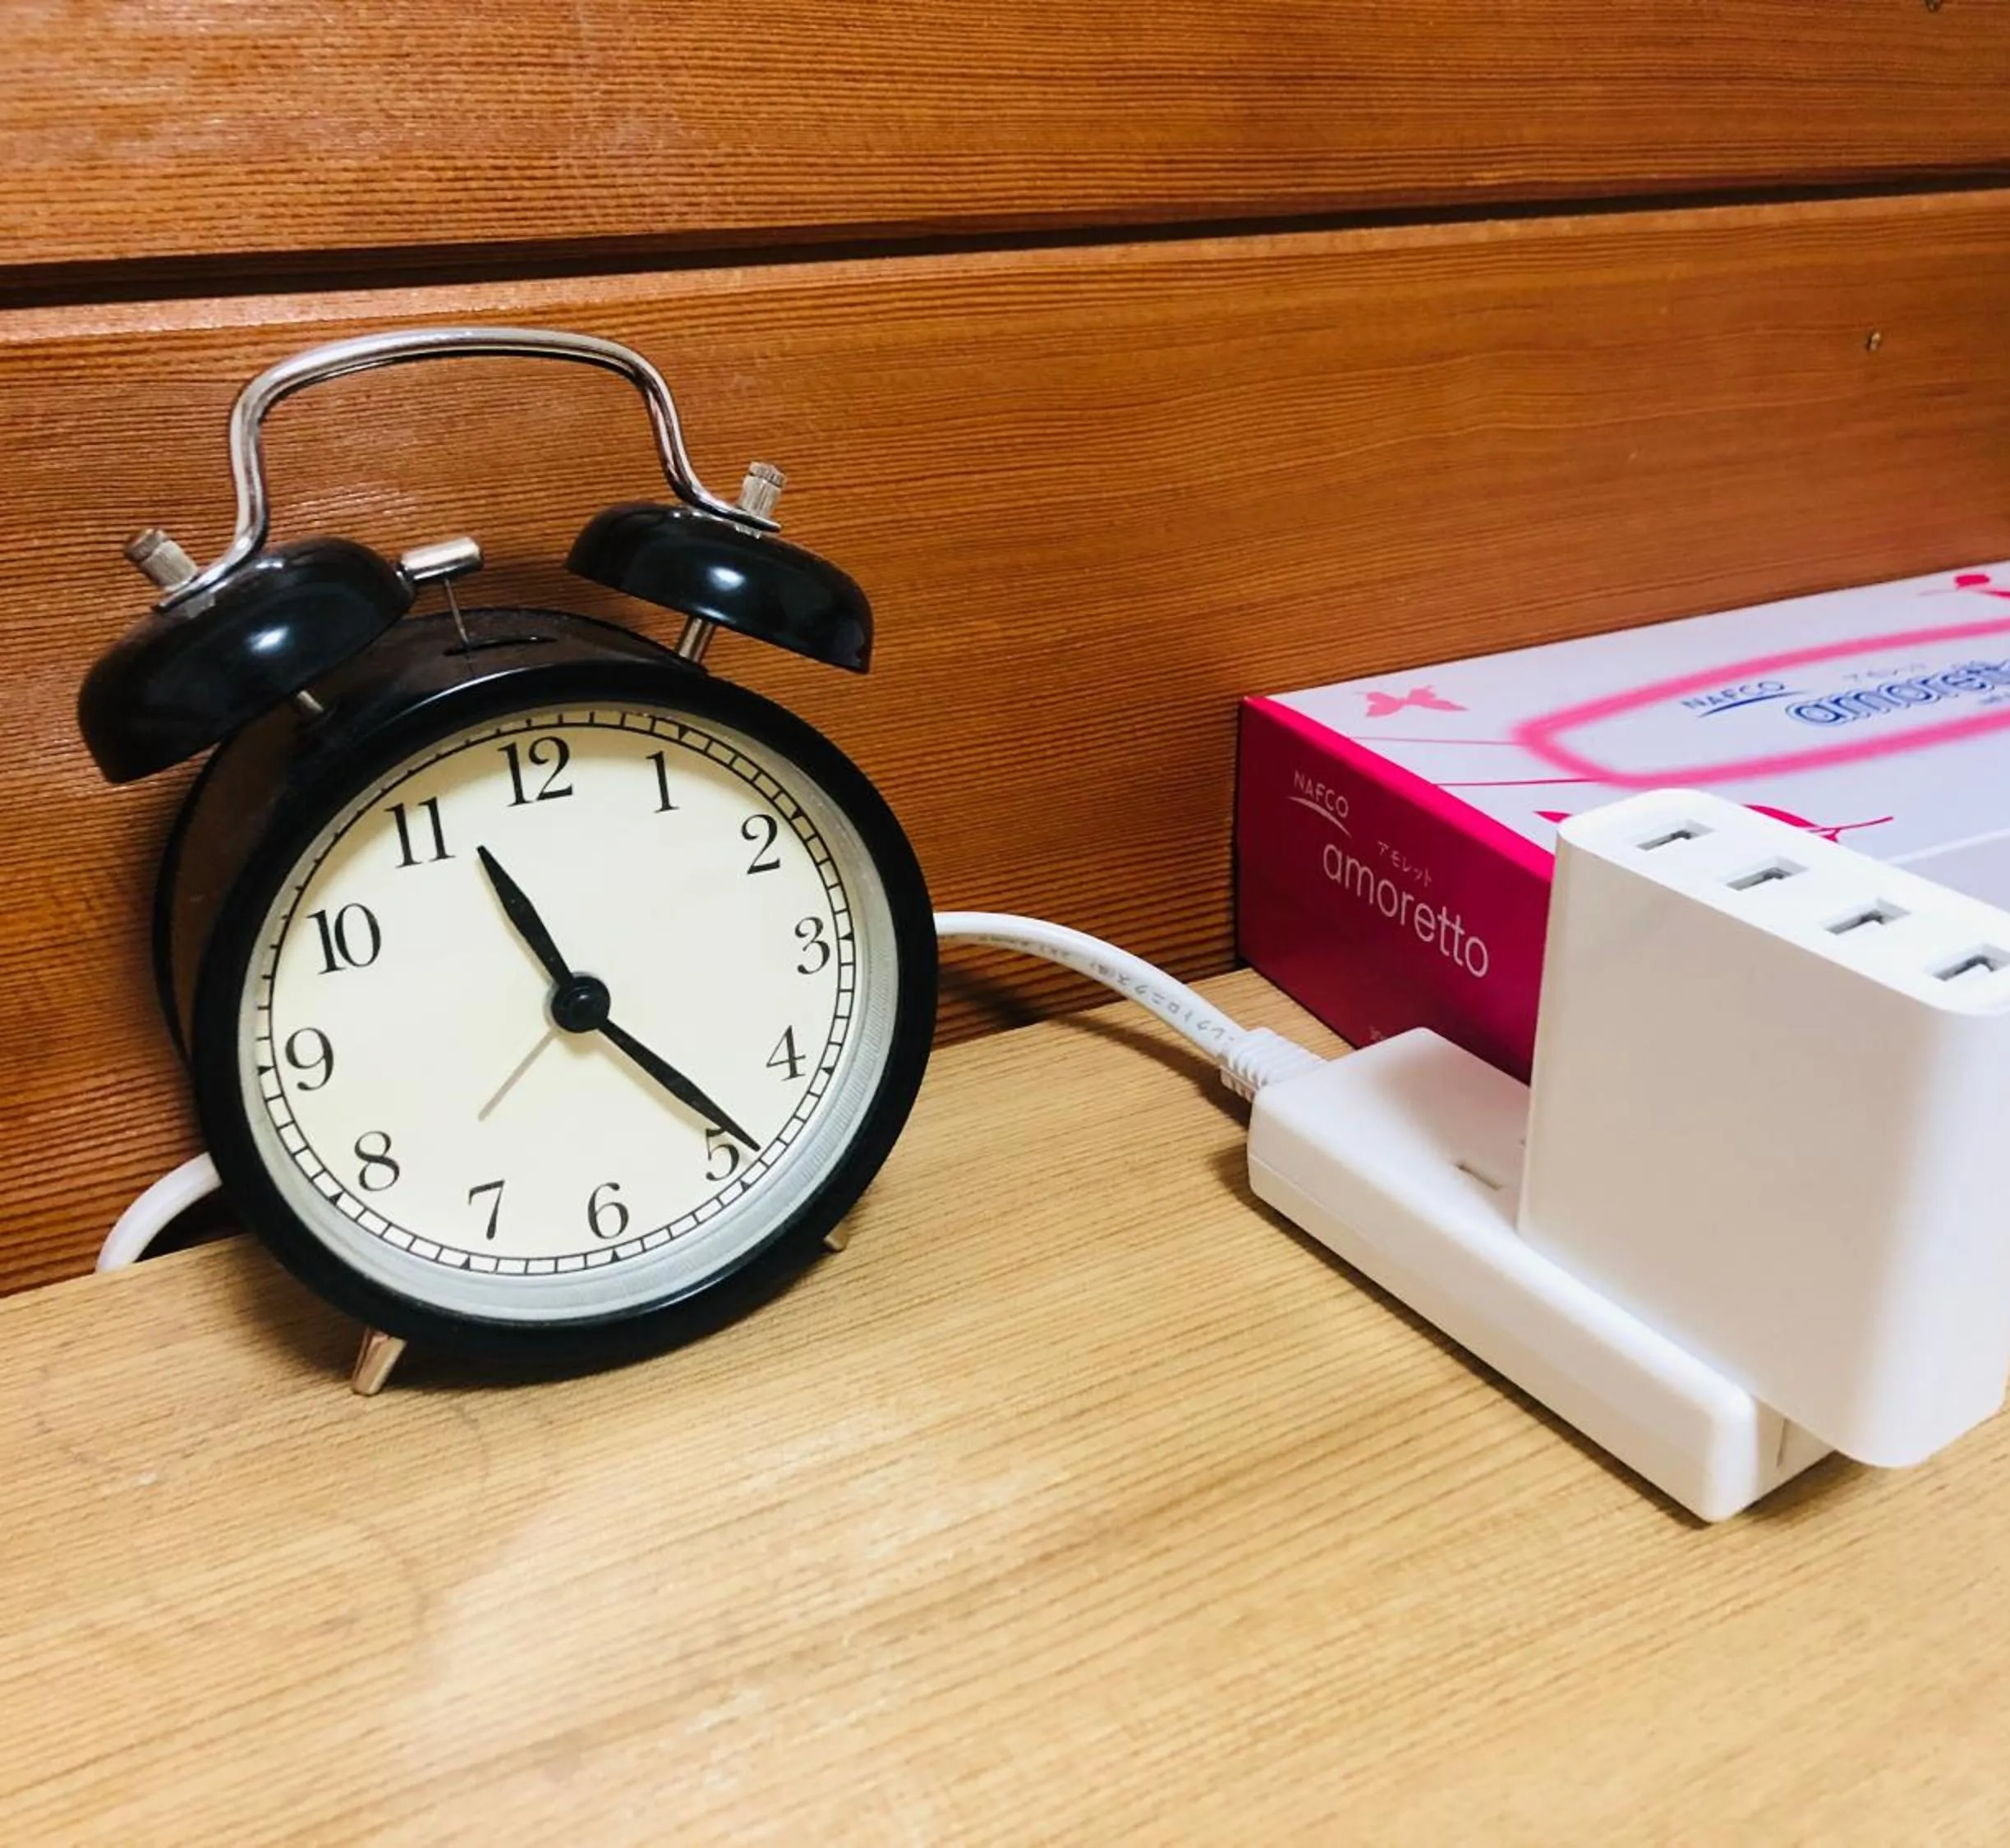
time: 11:23
